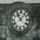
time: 11:07
